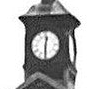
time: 12:30
